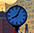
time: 8:05
